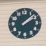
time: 2:08
